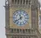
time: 11:38
